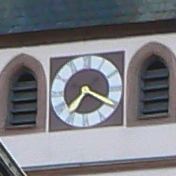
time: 7:19
